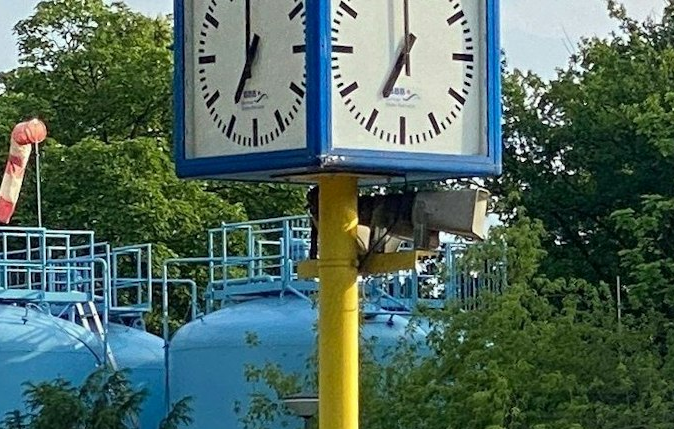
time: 7:00
